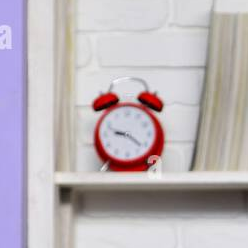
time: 9:21
